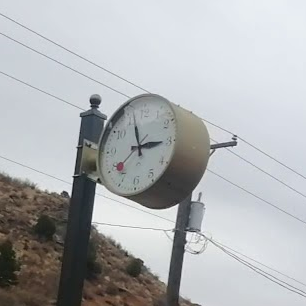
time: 2:56
